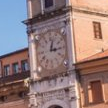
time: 3:02
